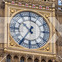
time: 10:35
